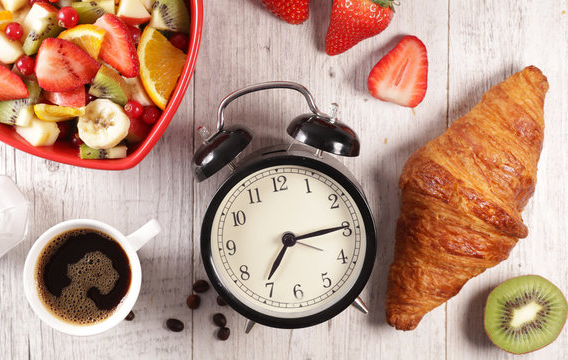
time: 7:14
